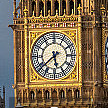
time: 5:38
